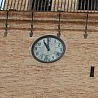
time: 10:59
